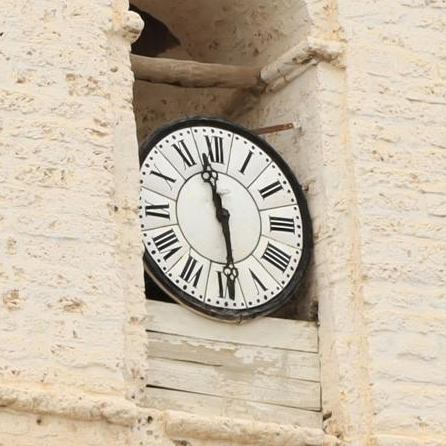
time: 11:29
